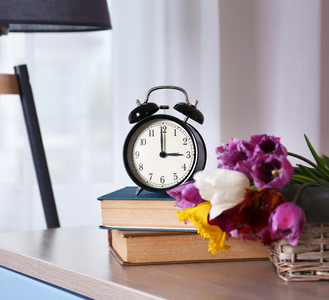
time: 2:59
